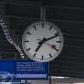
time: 7:11
